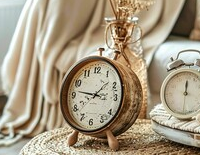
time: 1:46
